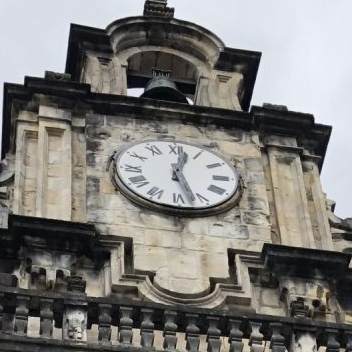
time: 12:26
